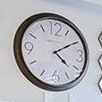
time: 4:09
